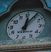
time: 12:05
